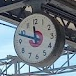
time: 11:48
